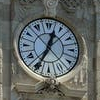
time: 12:34
